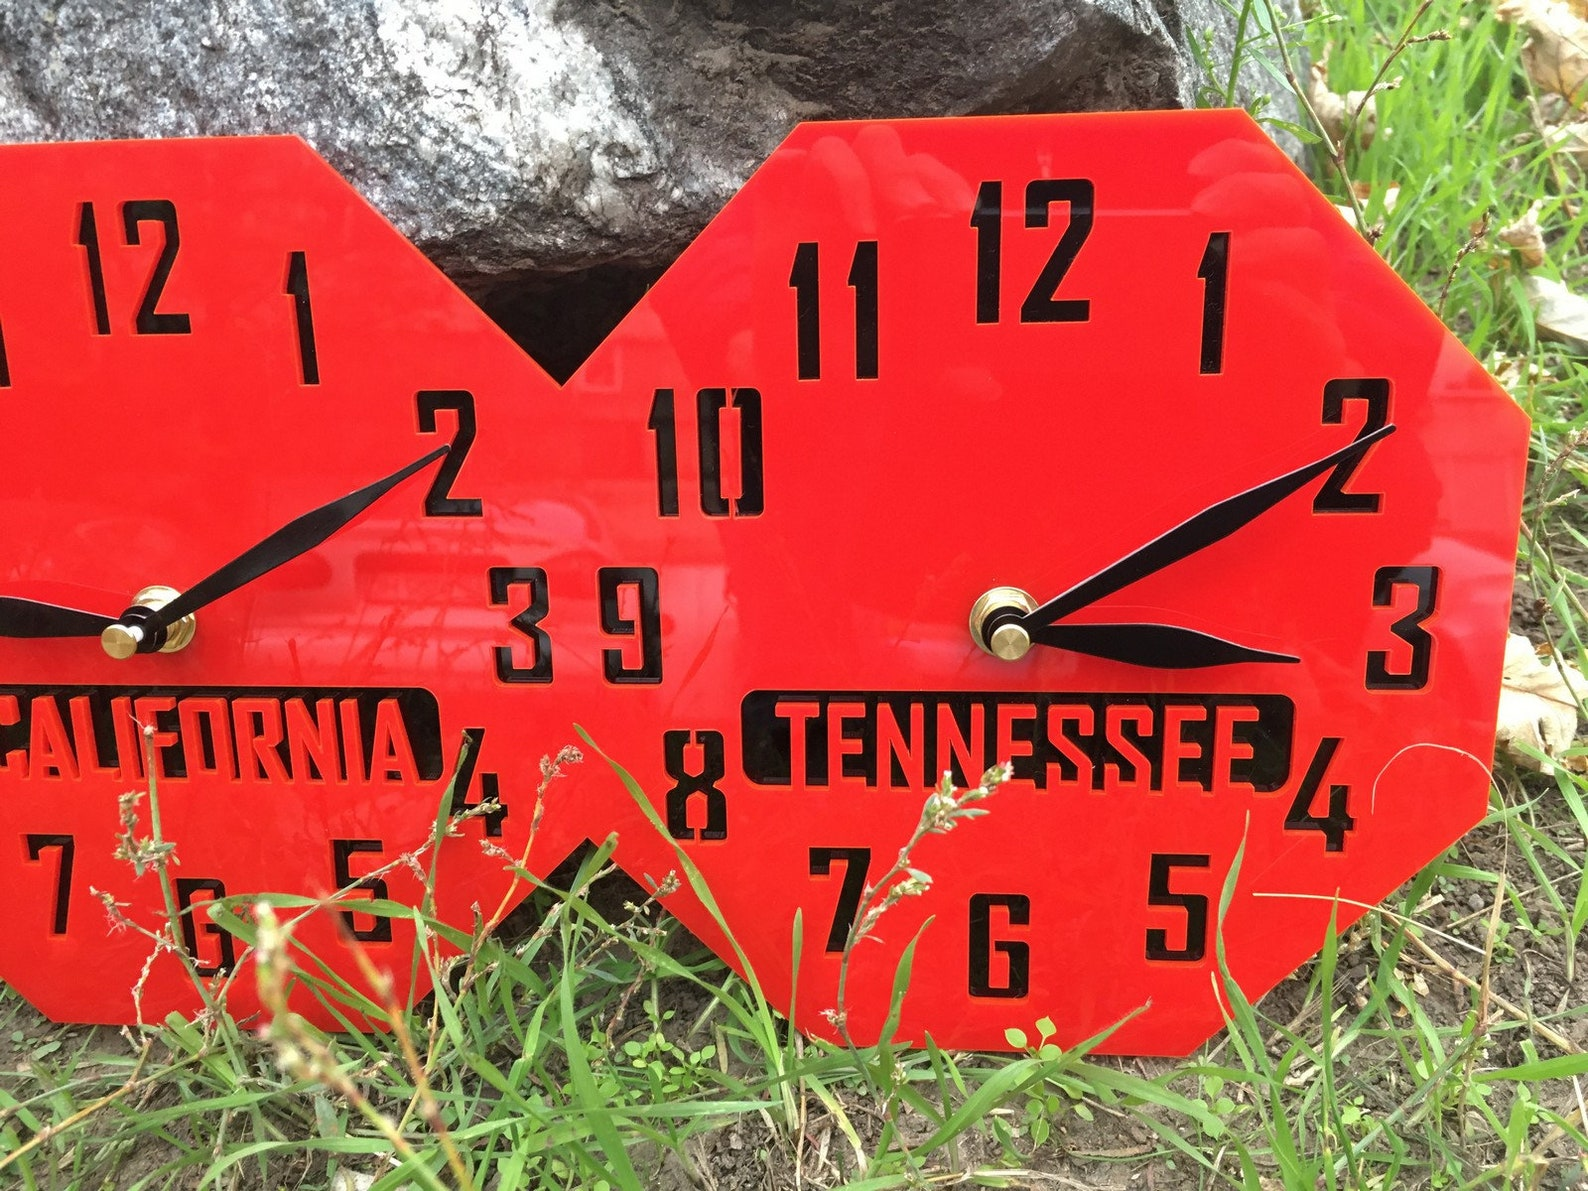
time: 3:10
